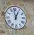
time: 12:58
